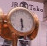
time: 5:30
